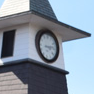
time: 3:13
